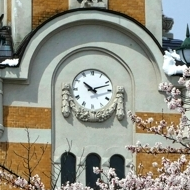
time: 10:12
